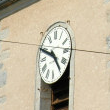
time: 4:49
